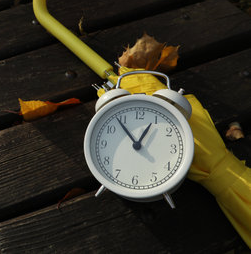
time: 12:53
